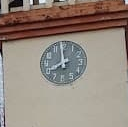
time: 7:59
